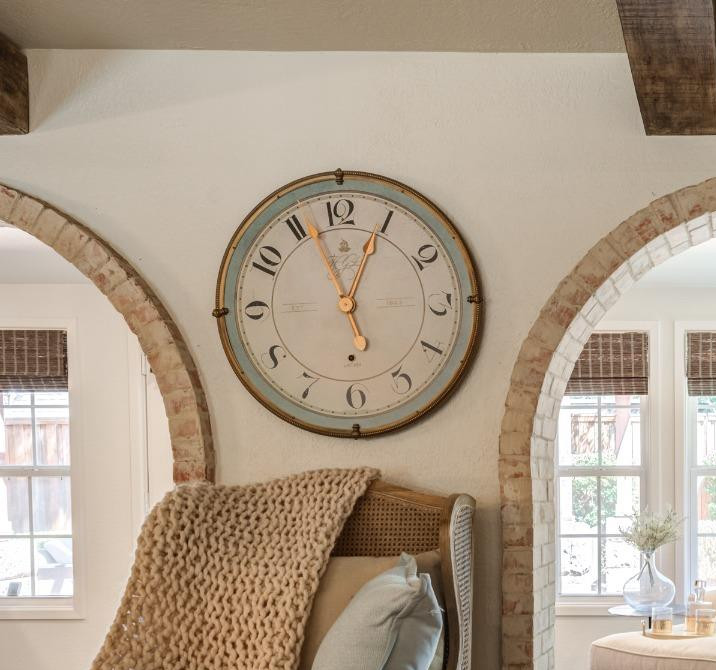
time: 12:56
